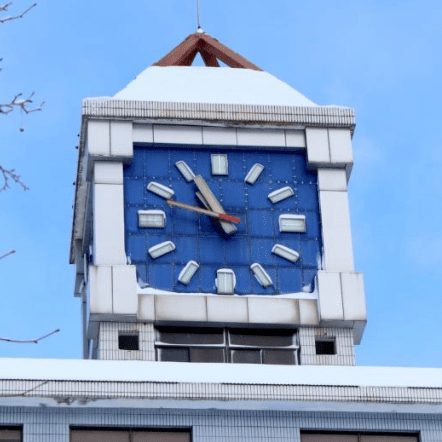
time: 10:48
